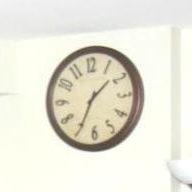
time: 1:34
